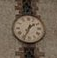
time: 1:34
